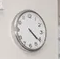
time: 4:21
